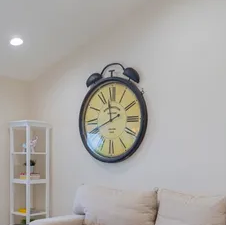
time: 11:41
